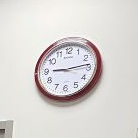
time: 9:13
